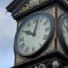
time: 10:02
